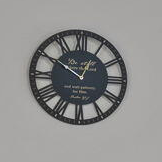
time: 12:50
